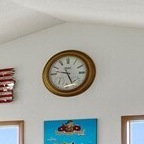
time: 9:25
